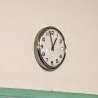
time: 12:58
